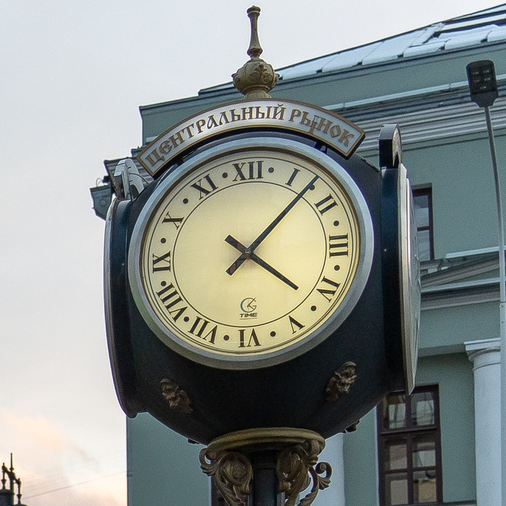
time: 4:07
